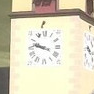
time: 9:47
